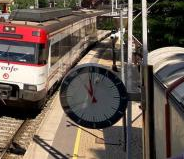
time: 10:59
